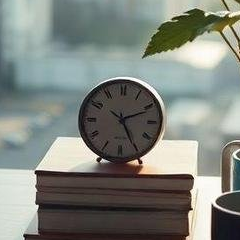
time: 2:25
